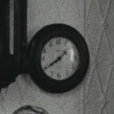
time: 1:39
